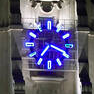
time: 7:18
